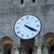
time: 4:19
